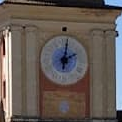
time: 2:01
